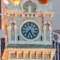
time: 7:25
